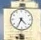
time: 4:34
